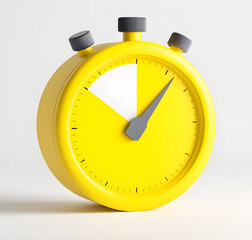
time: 10:07
